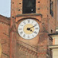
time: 4:11
